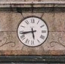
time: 5:43
